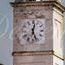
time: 12:26
